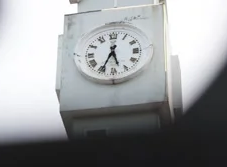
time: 5:34
